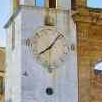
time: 8:07
